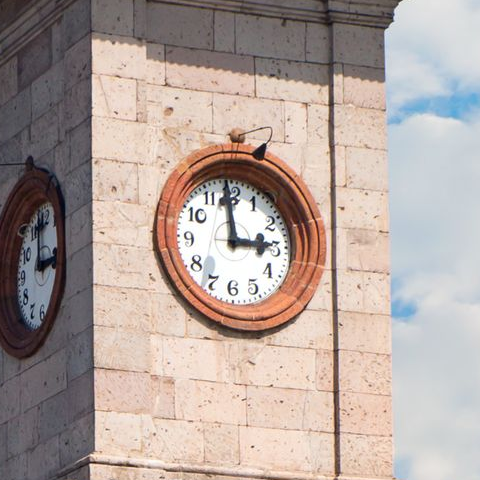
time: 2:58
